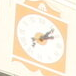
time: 2:07
